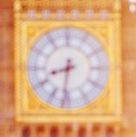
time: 8:31
